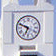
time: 6:48
